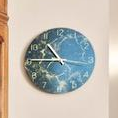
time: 10:45
